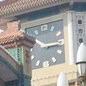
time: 10:15
